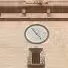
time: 4:54
